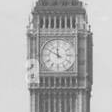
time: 11:49
